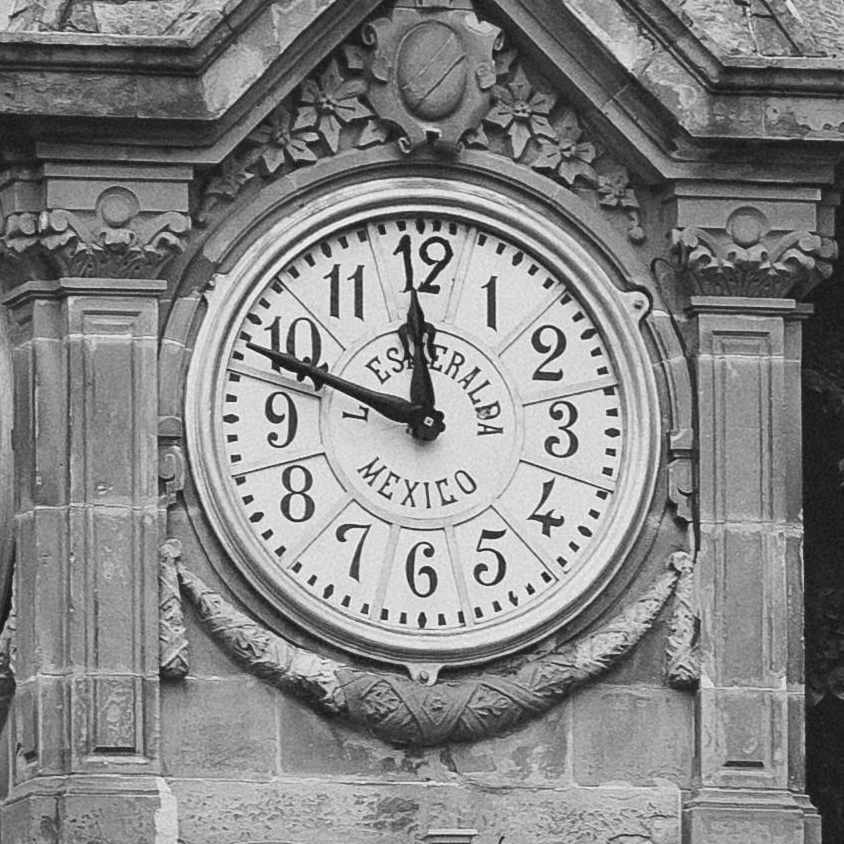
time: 11:48
